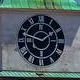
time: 1:47
